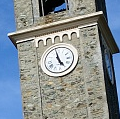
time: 4:57
